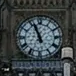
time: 10:56
